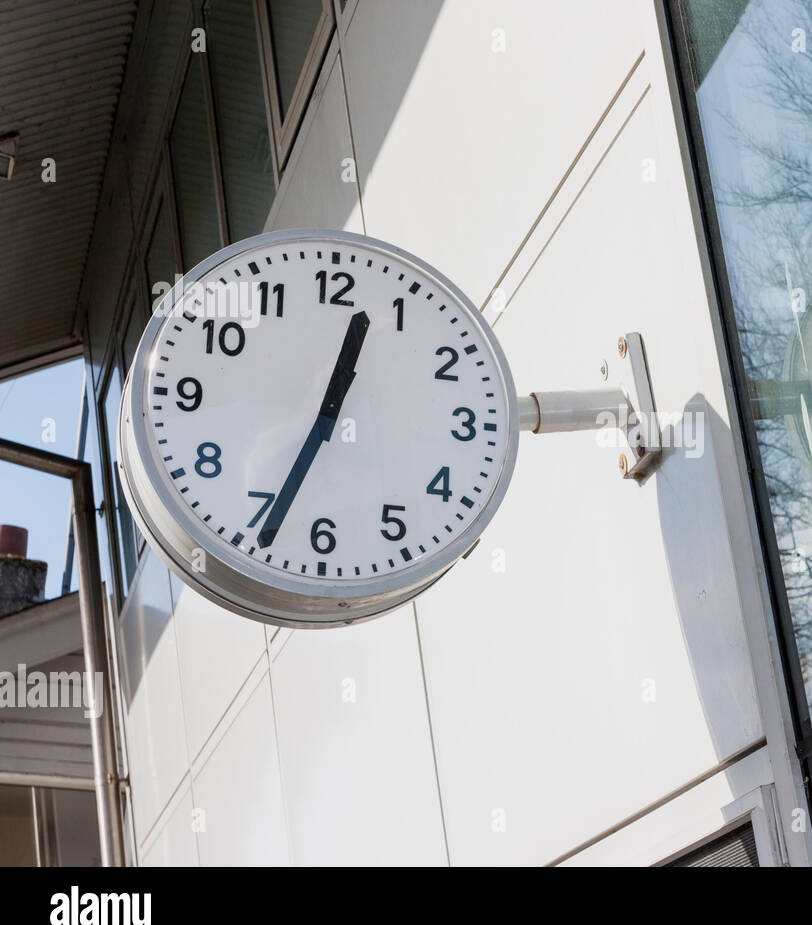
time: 12:33
